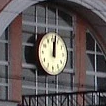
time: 12:01
